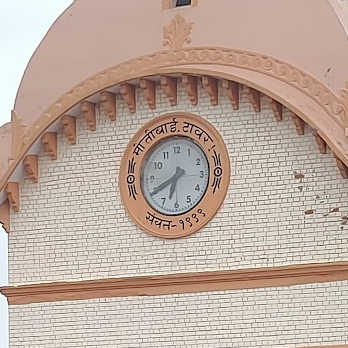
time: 6:39
